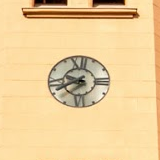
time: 9:40
